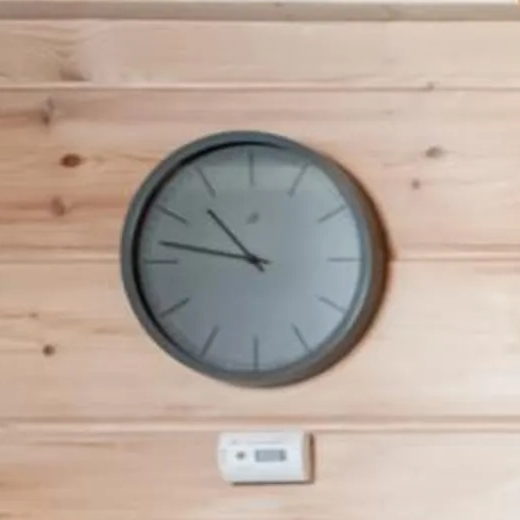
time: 10:46
